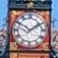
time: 1:50
